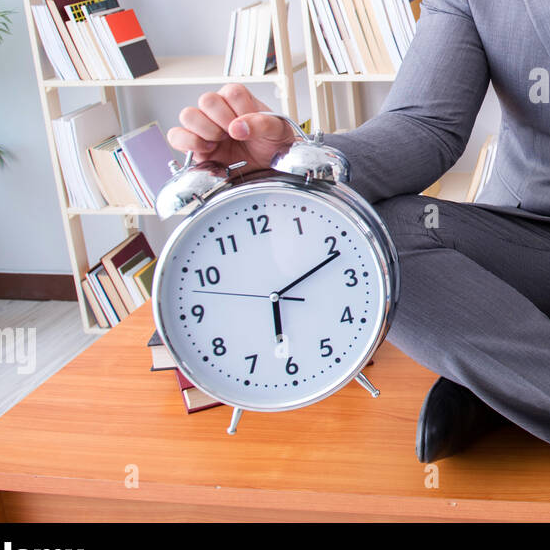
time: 6:11
